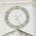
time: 5:08
